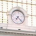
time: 7:22
